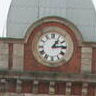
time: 1:13
